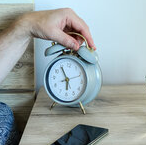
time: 5:55
